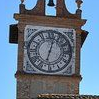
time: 12:32
